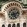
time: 5:12
